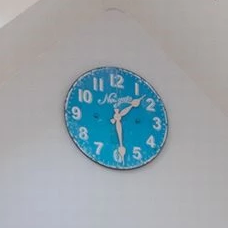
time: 1:28
